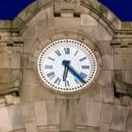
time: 6:22
